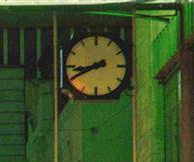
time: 8:40
